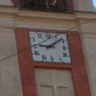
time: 9:08
